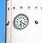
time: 6:20
